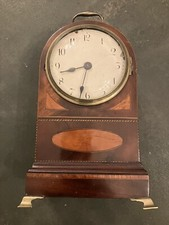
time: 8:32
